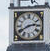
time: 2:40
